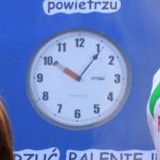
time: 10:06
